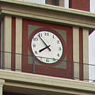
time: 7:53
